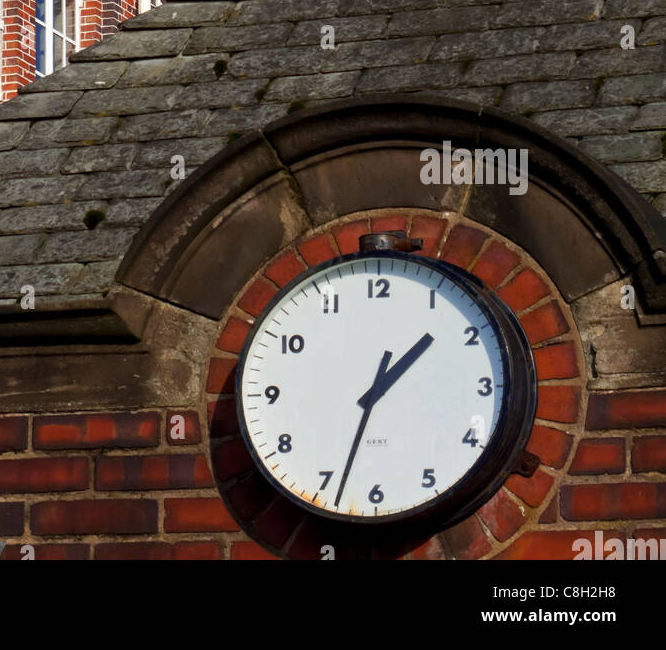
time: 1:32
